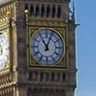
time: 11:03
